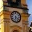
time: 6:21
